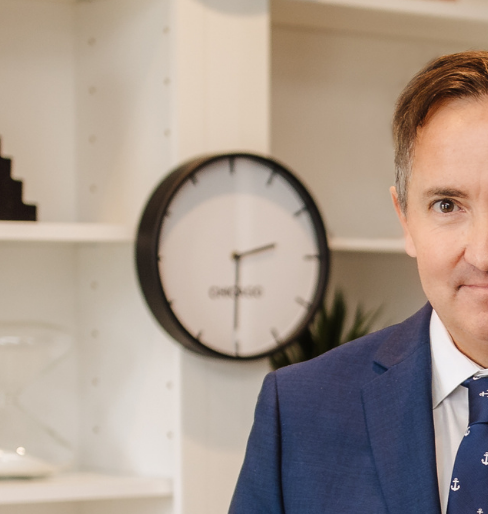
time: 2:30
